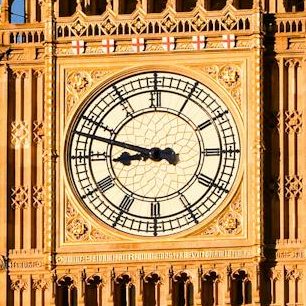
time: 8:47
